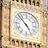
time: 4:52
